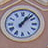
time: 1:07
